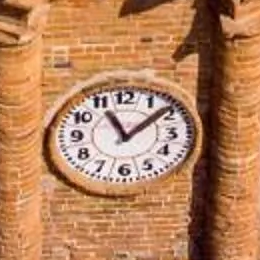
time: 11:08
